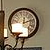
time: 12:11
